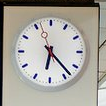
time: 6:23
